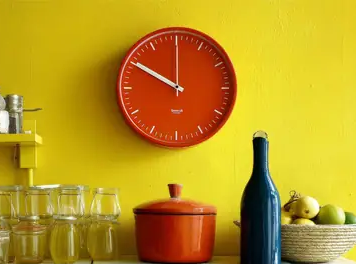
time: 9:50
